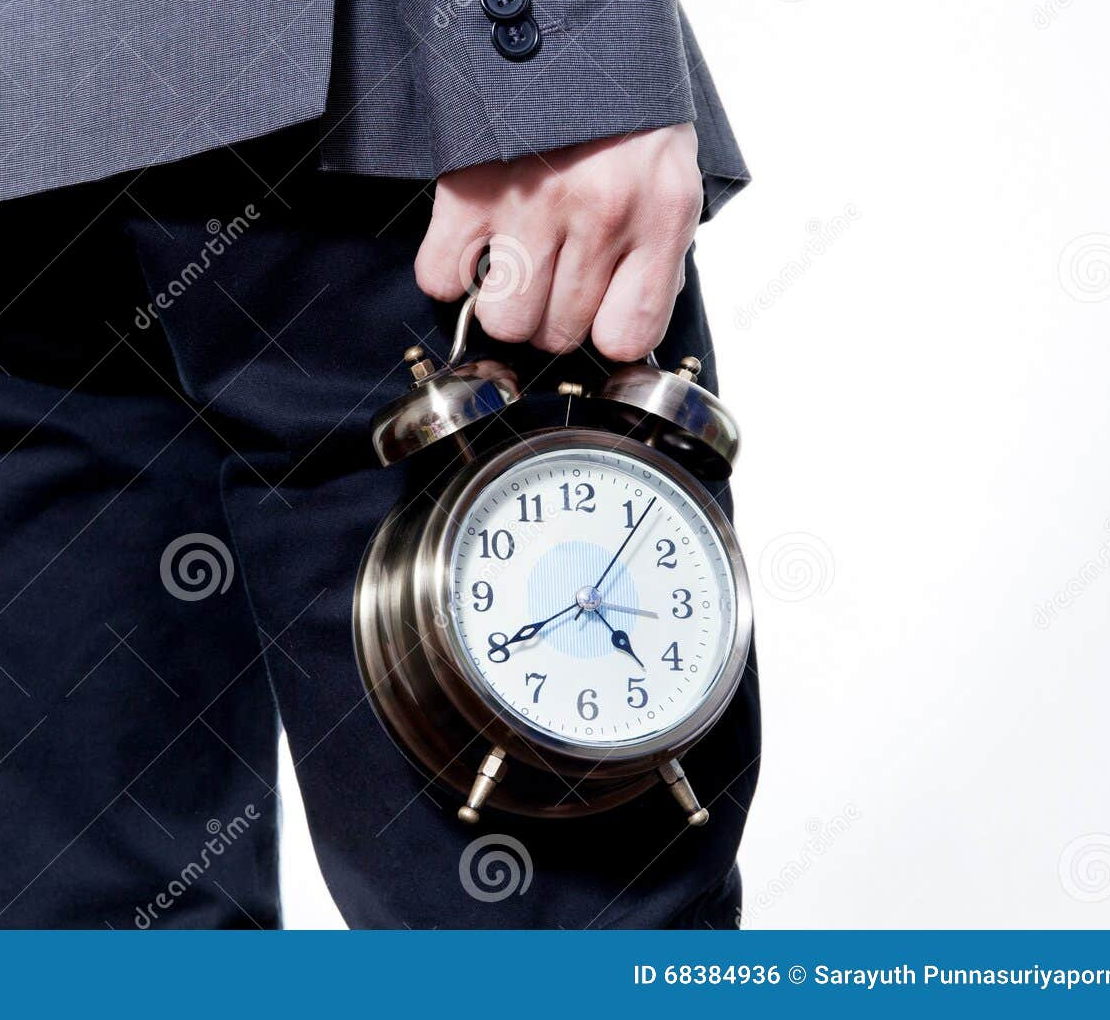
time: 4:40
